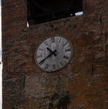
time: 10:40
